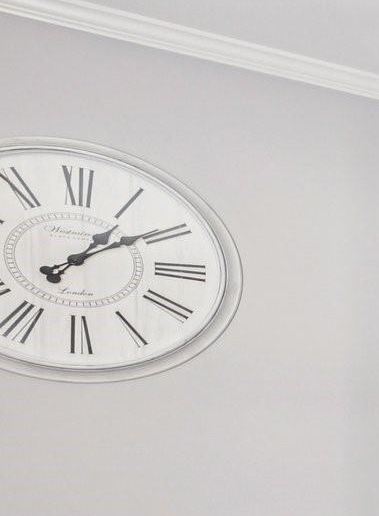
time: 1:09
